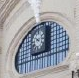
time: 4:12
